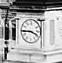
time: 3:44
